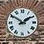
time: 1:50
